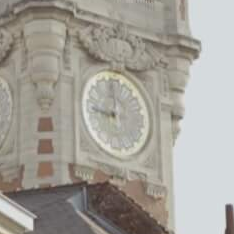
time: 9:01
